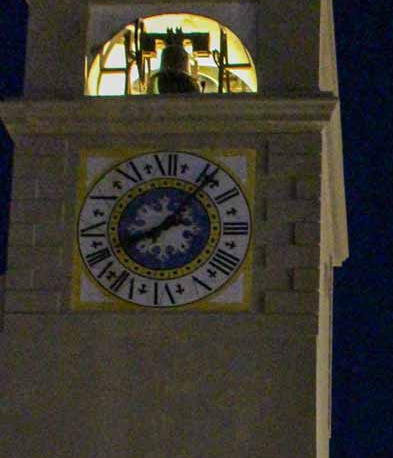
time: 8:06
